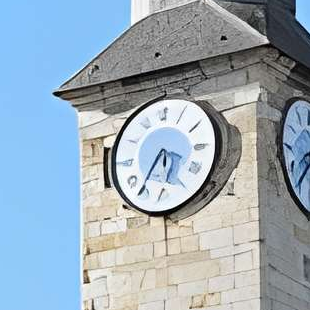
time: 5:35
